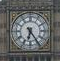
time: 6:24
